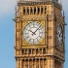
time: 10:07
